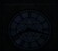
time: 8:17
